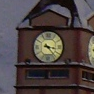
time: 3:23
